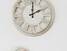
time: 2:00
